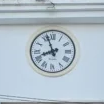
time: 7:56
